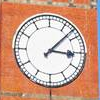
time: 3:07
